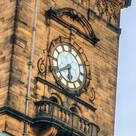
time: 5:40
